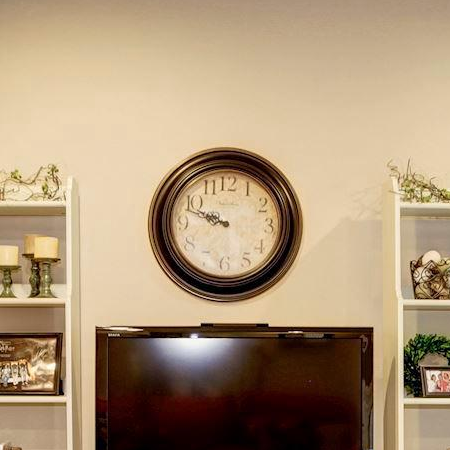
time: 9:47
